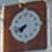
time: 7:42
